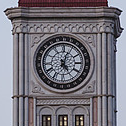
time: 5:03
